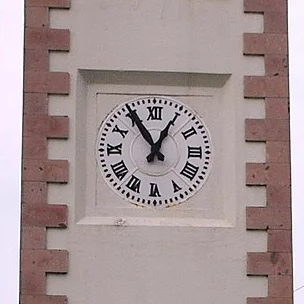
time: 12:54
